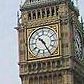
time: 10:25
